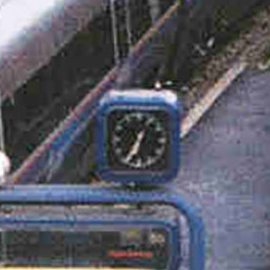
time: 12:34
